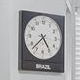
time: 4:37
